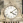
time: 4:08
